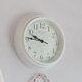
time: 9:45
